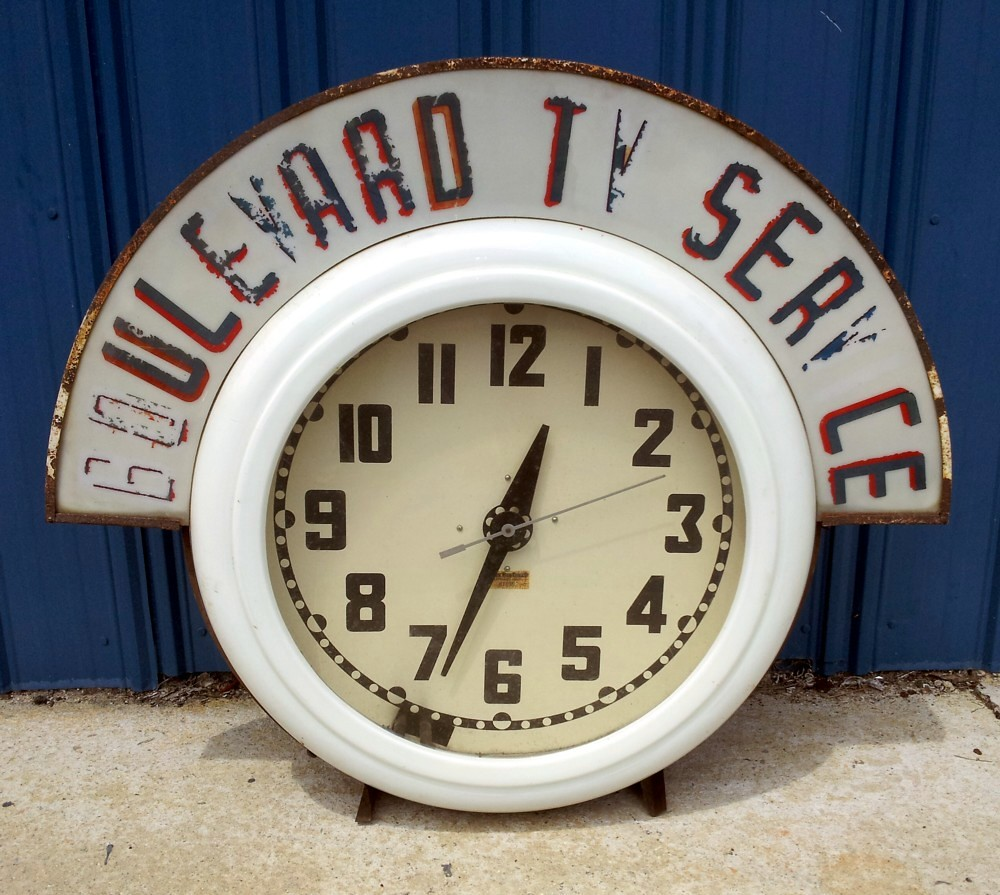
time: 12:33
